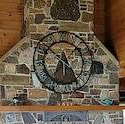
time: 5:51
